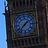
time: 1:37
